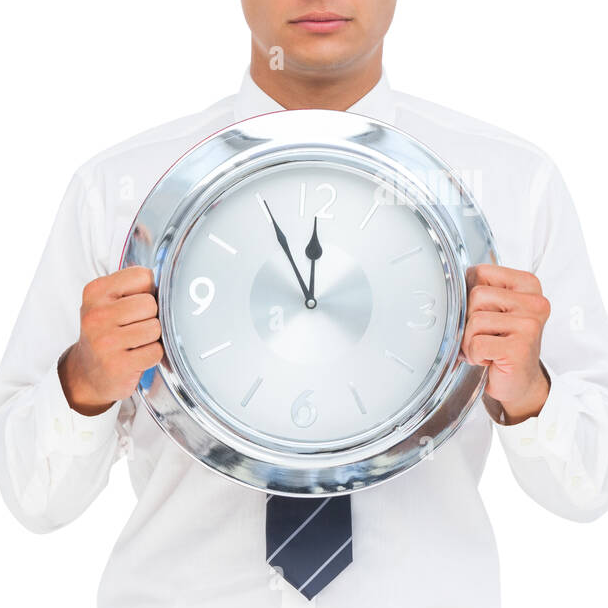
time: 11:55
